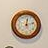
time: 12:12
